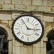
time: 2:54
